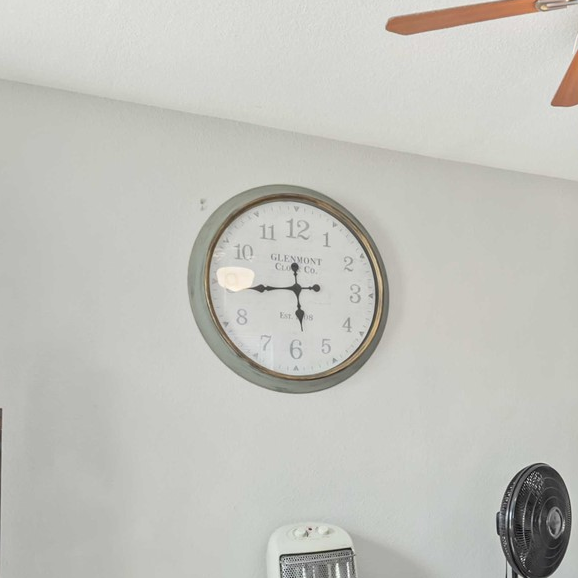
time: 5:44
